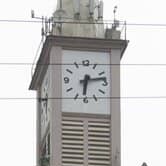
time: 6:13
